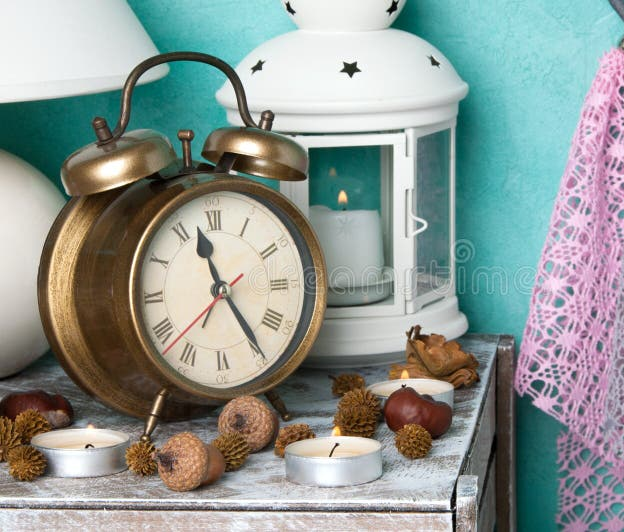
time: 11:24
